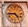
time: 4:44
